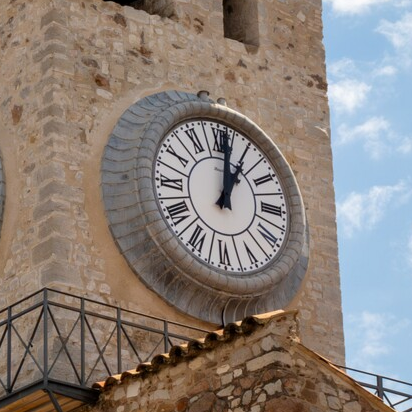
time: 1:01
